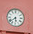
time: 5:38
